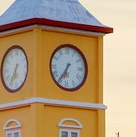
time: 6:35
